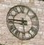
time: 5:45
